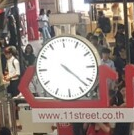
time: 4:22
